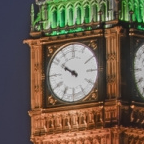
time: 9:50
